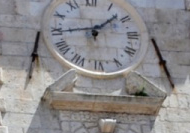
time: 1:44
